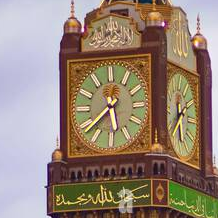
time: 5:38
